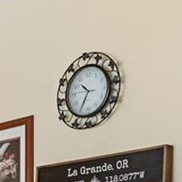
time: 10:34
